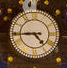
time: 4:44
